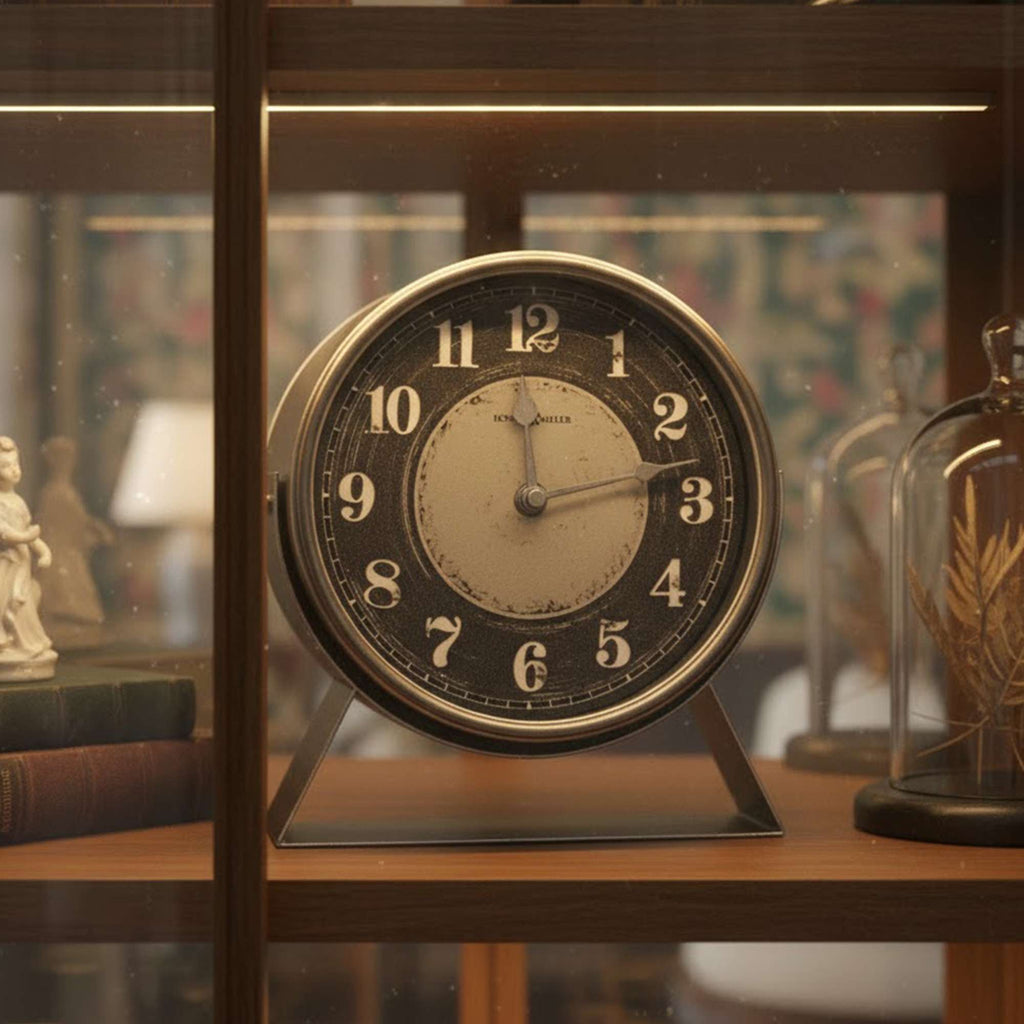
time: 12:13
